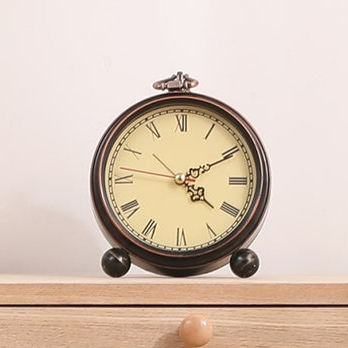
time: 4:10
